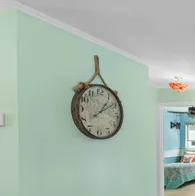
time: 1:09
